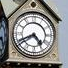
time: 4:40
